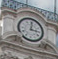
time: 3:00
